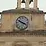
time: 3:49
